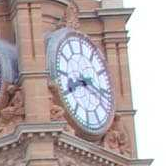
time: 8:16
